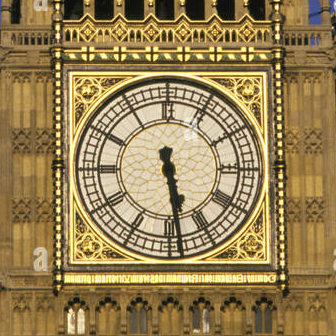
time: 5:28
